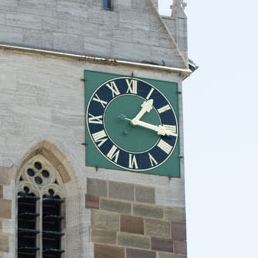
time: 1:16
